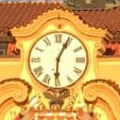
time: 6:04
